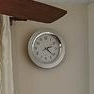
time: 2:21
